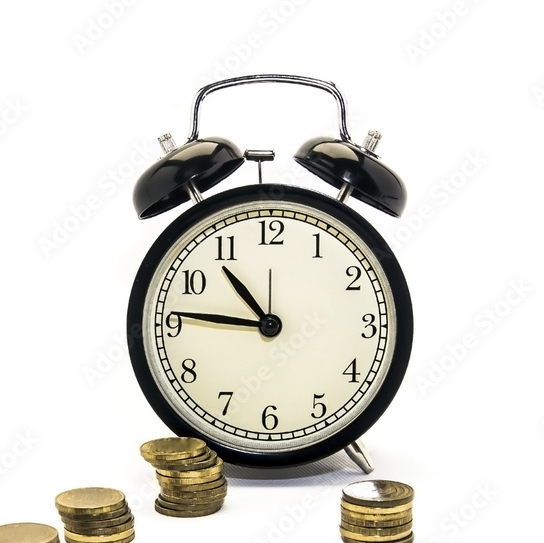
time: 10:46
